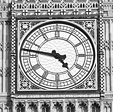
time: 4:46
